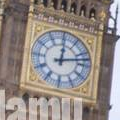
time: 12:12
